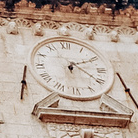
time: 4:10
